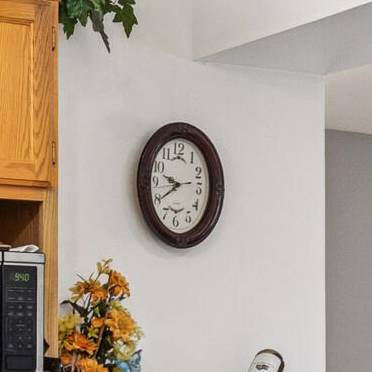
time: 9:39
